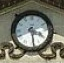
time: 3:28
